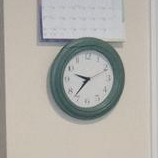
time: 9:36
